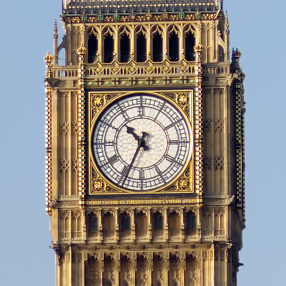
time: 10:34
